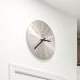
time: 2:38
